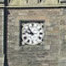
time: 10:47
